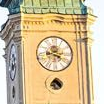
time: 3:43
